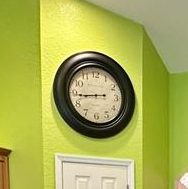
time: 8:44
